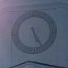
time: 5:24
